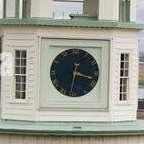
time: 3:32
